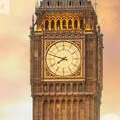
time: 7:47
